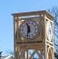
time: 11:32
